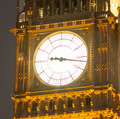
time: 9:16
